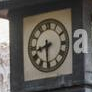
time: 8:30
